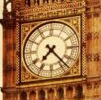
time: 7:23
